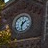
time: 1:32
